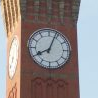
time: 8:03
